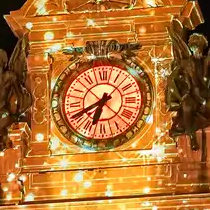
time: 6:40
